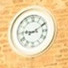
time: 9:10
